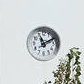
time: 11:10
